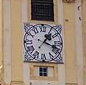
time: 1:18
